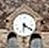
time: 6:20
